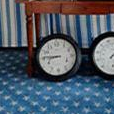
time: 8:45
